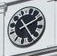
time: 2:24
